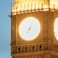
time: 7:04
